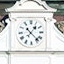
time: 1:22
